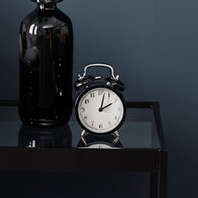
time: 2:02
